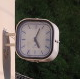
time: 5:03
